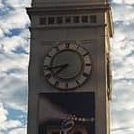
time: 7:43
